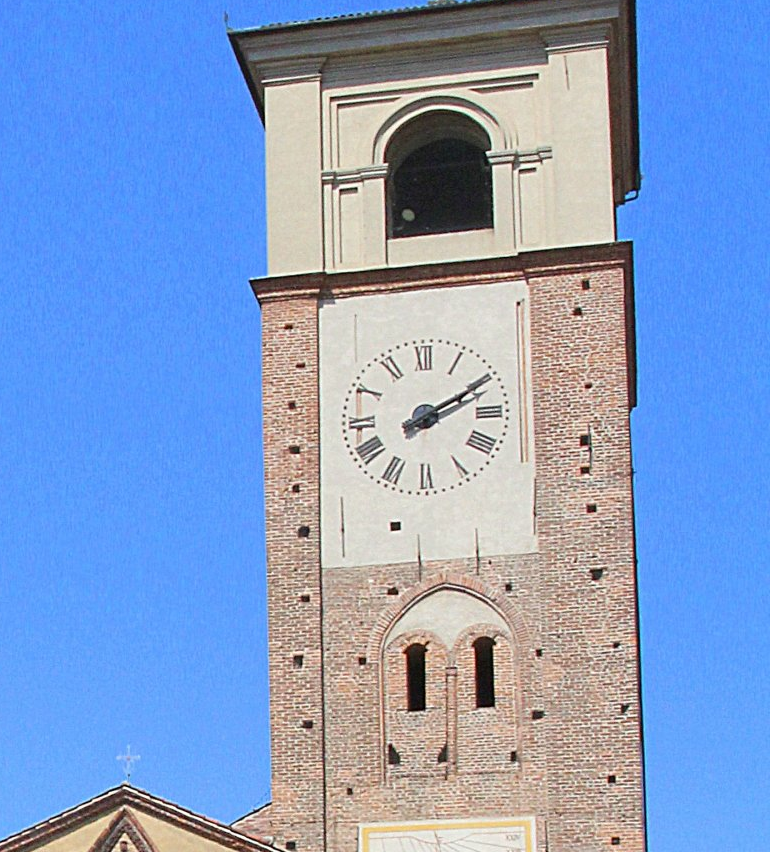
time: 2:10
